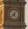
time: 8:02
